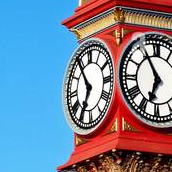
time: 6:54
